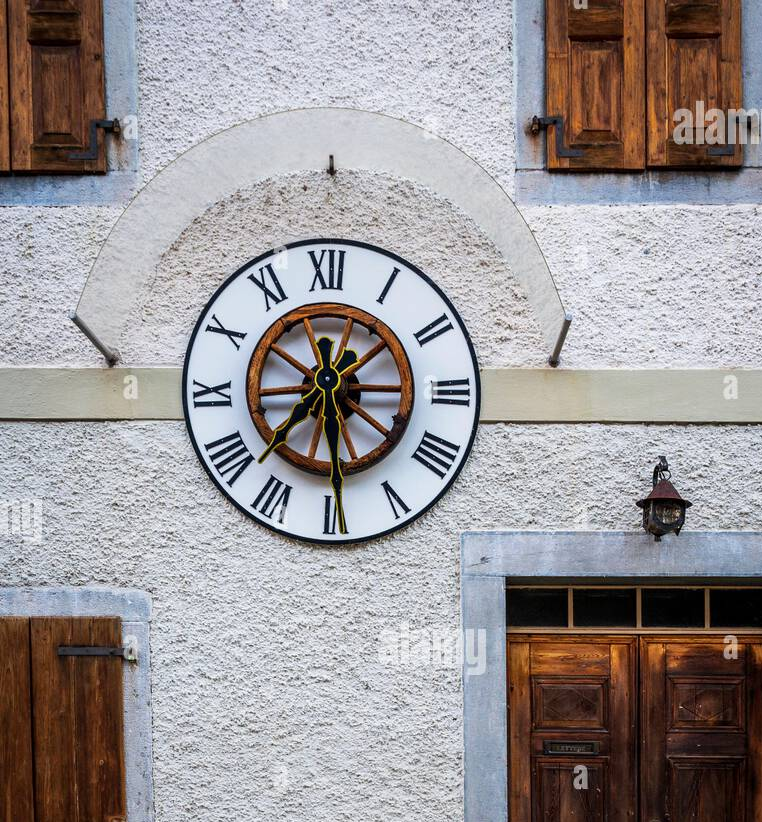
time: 7:29
